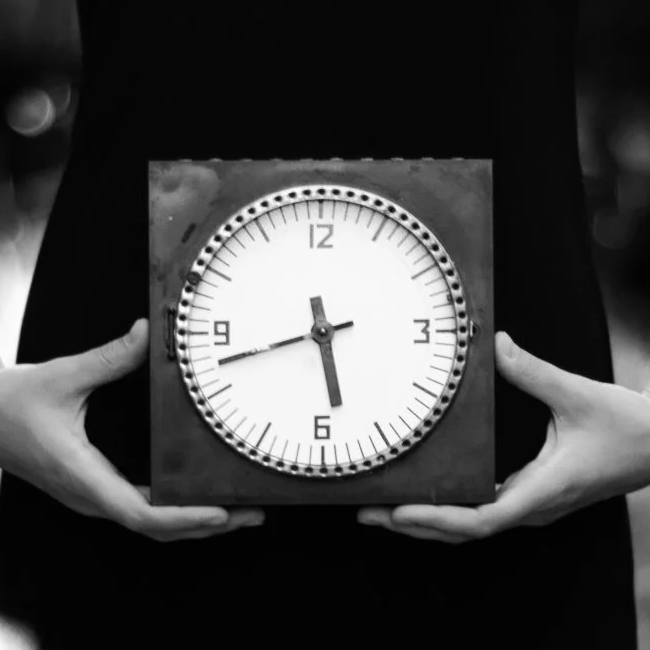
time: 5:42
